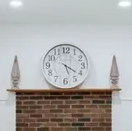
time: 5:20
